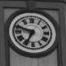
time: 6:48
